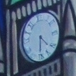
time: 6:21
